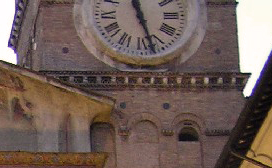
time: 11:27
